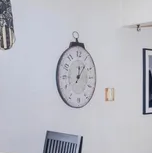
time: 12:06
